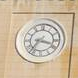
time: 3:36
